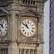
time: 10:50
